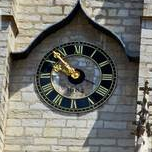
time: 9:52
